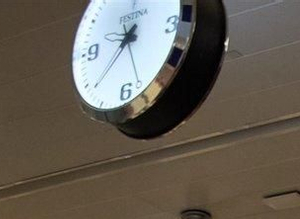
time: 12:38
